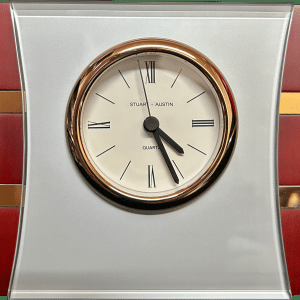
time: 4:25
